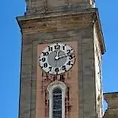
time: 12:12
